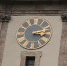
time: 3:12
